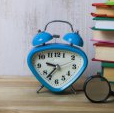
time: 9:36
